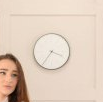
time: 3:35
